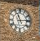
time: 11:13
